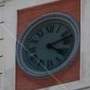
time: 4:12
